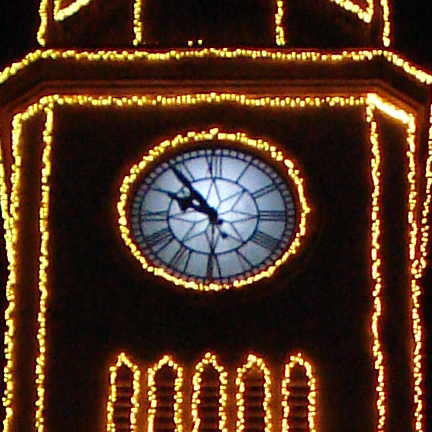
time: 9:53
